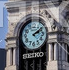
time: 2:09
